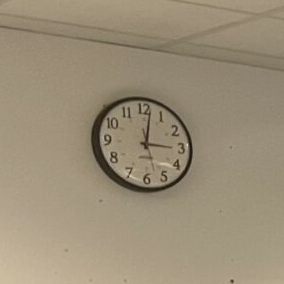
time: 3:01
